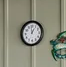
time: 12:58
